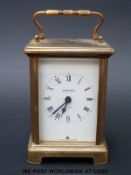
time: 6:38
